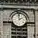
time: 1:59
